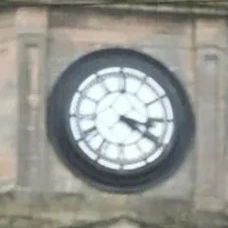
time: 3:20
